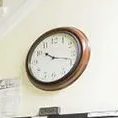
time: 10:18
